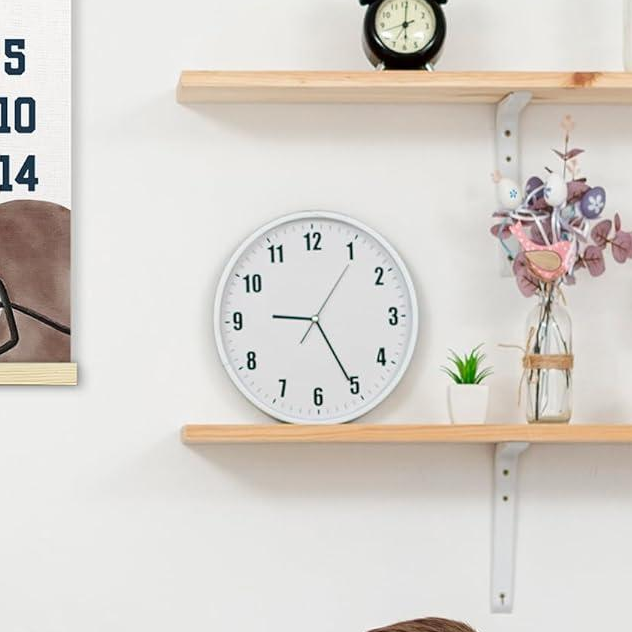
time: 9:25
